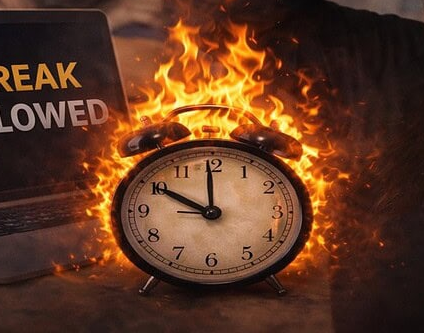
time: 9:59
